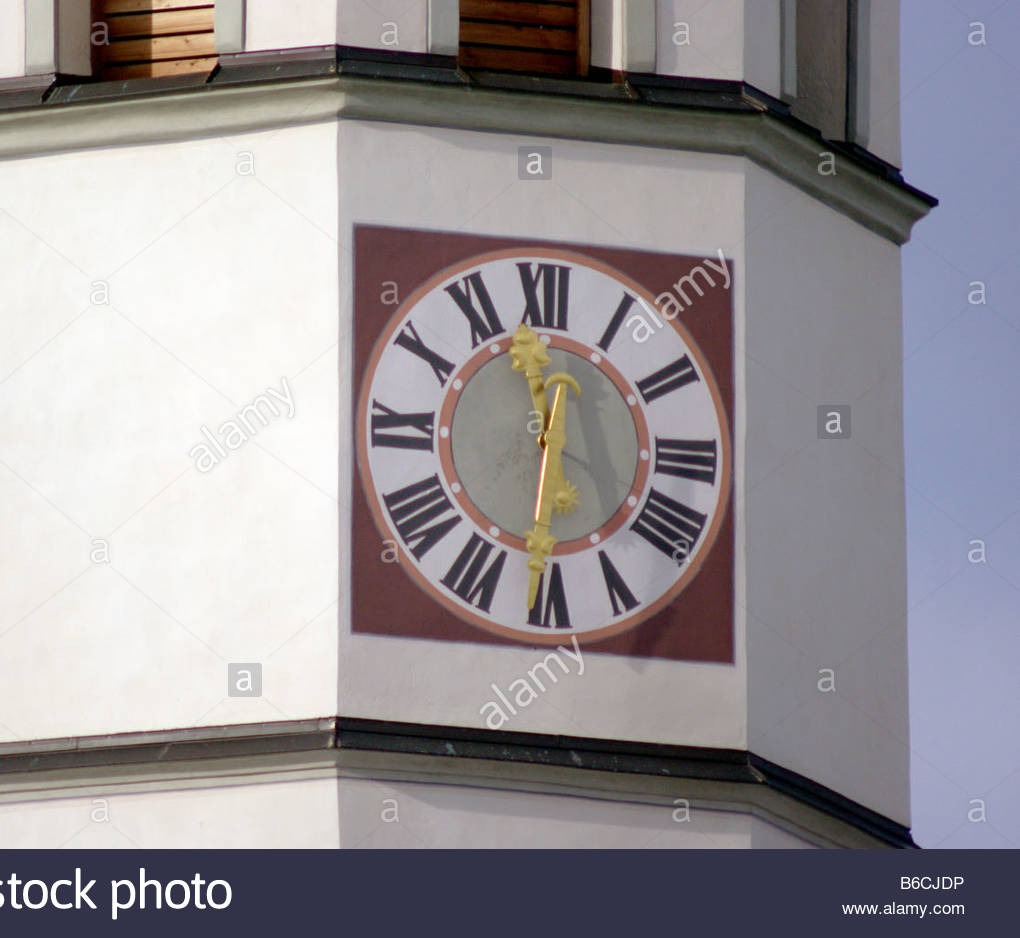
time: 12:30
